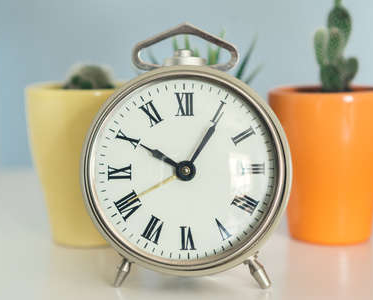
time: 10:05
